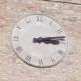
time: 3:13
